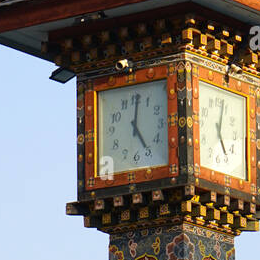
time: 5:01
